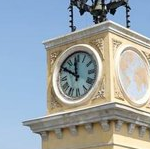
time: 11:50
